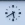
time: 5:40
